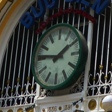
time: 1:46
